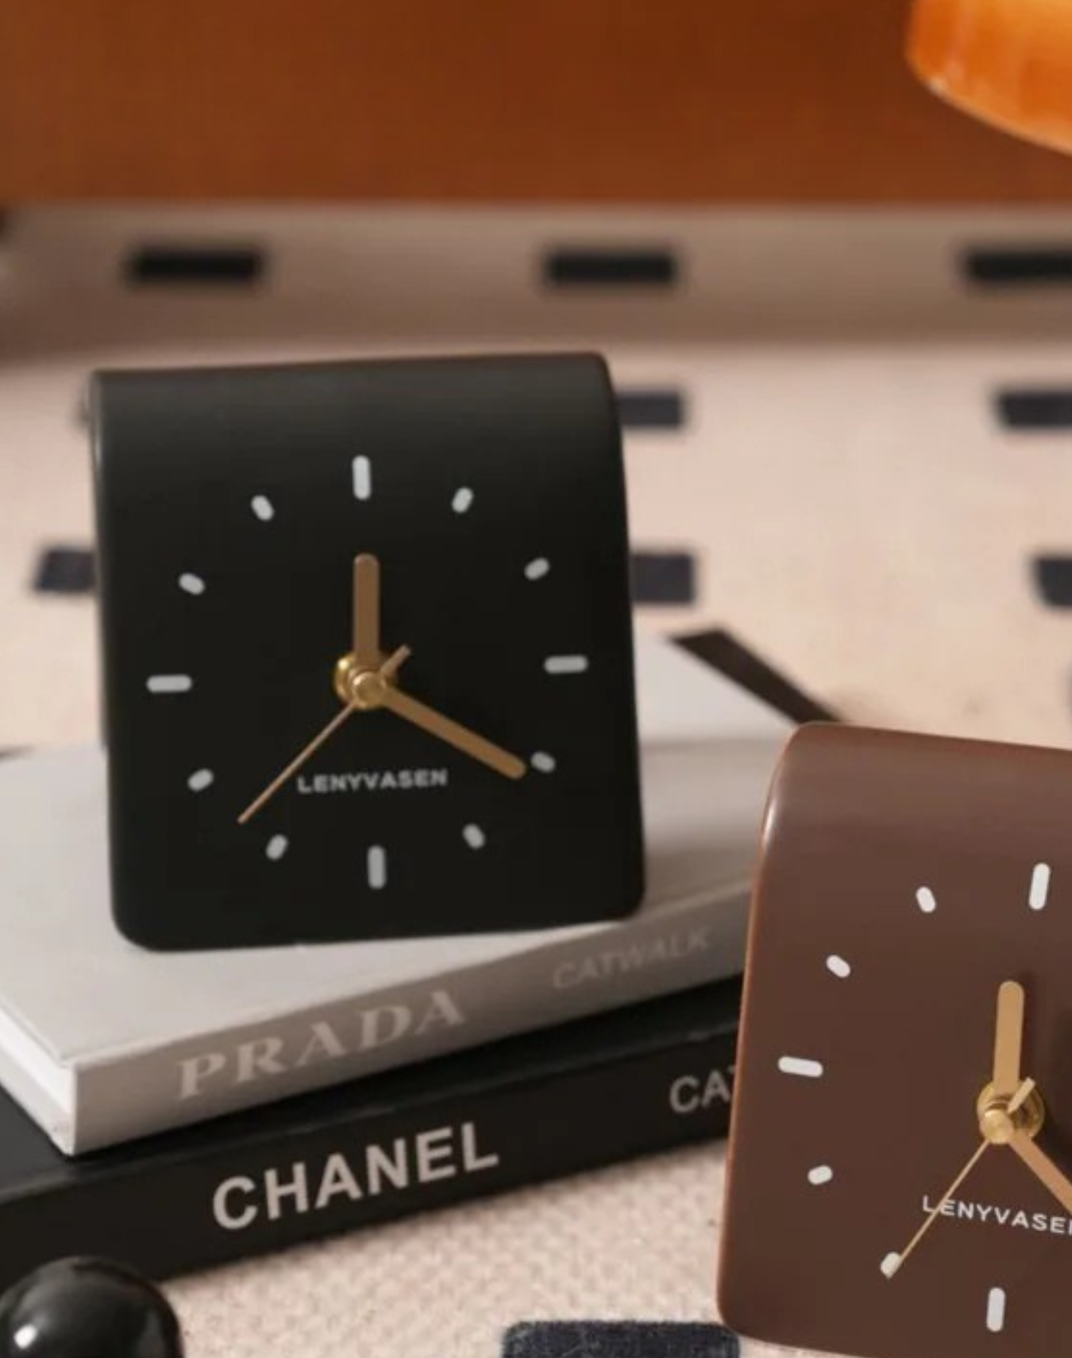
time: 12:20
